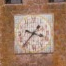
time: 3:37
